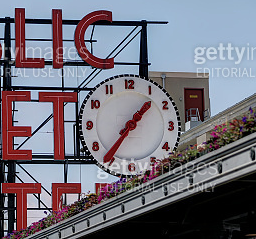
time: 1:36
